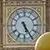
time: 5:24
